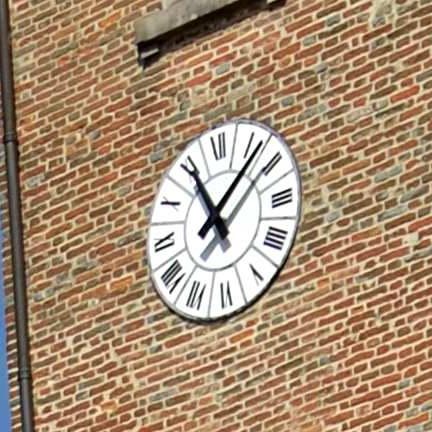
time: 11:07
